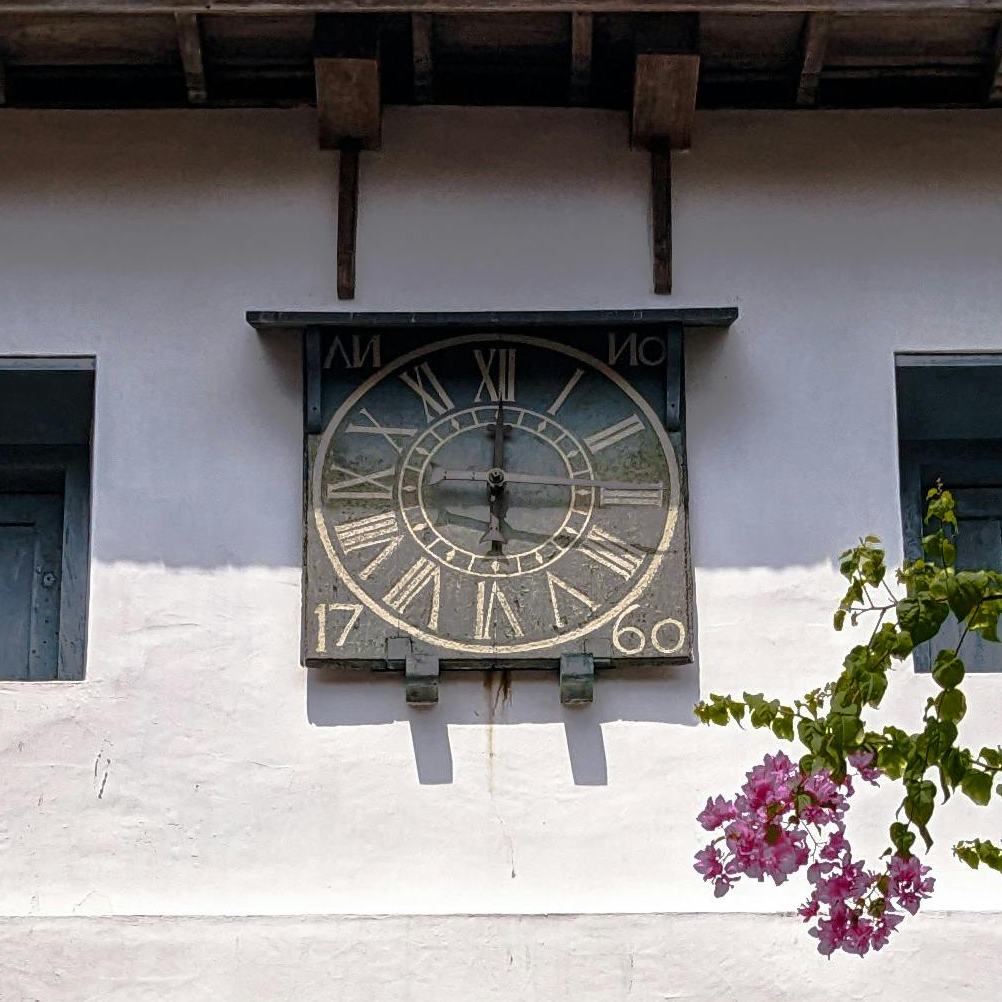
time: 5:59
